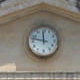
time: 11:47
